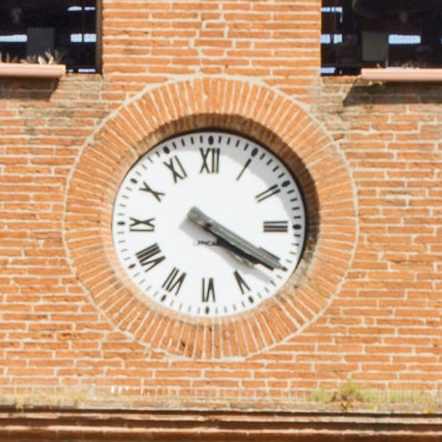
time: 4:20
